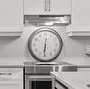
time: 6:31
